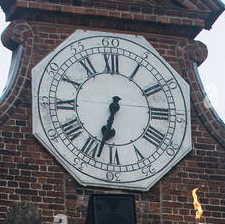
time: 6:33
